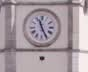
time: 11:25
